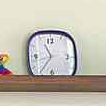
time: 10:36
